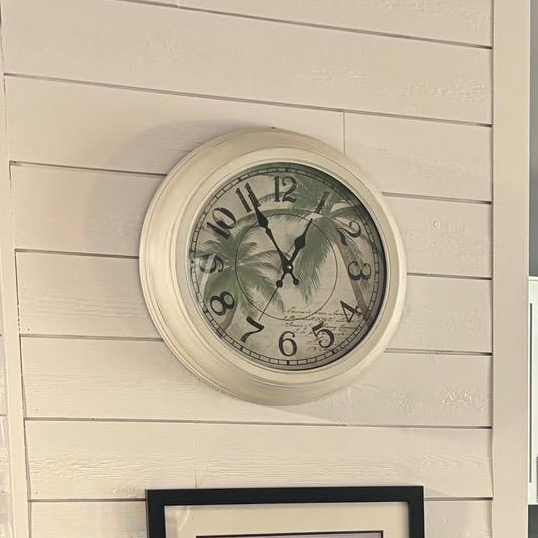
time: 12:55
